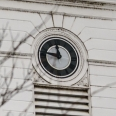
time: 11:46
